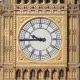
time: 9:44
